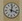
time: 12:18
